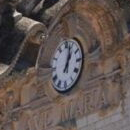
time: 1:02
